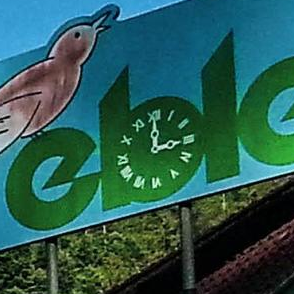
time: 3:00
